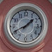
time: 1:40
